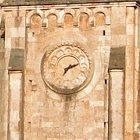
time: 7:11
